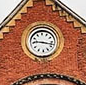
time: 9:17
